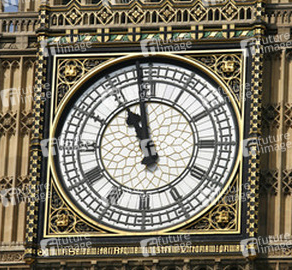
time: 10:58
